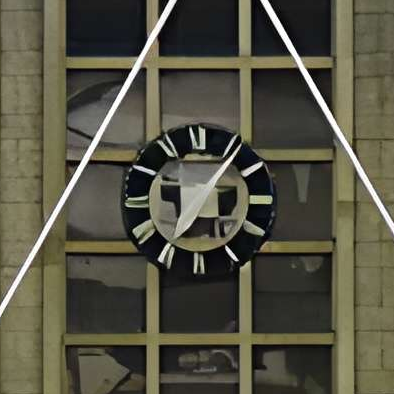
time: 7:06
